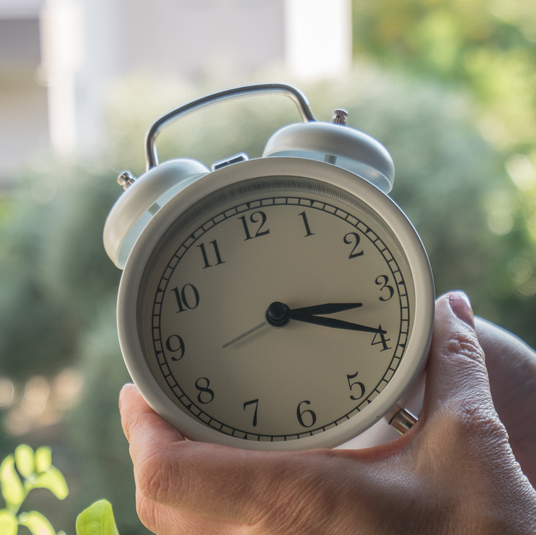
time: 3:19
